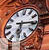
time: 6:15
